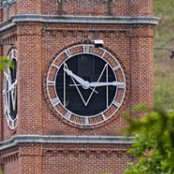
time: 10:14
